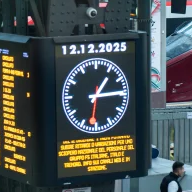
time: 1:14
